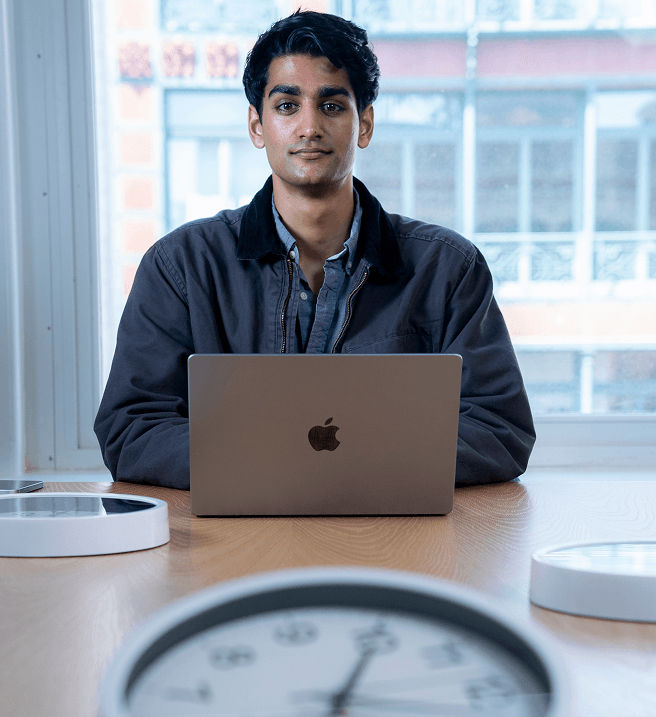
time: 1:05
